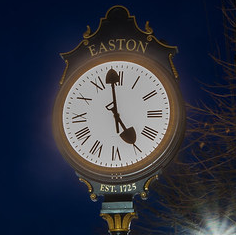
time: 4:58
